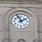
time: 1:56
